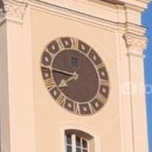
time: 7:46
